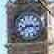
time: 8:16
